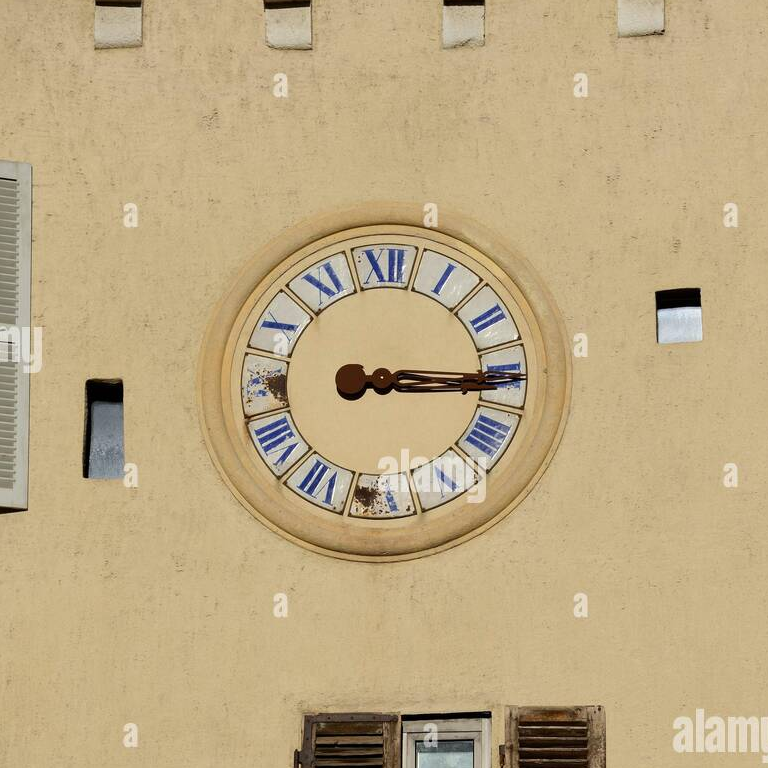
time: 3:15
